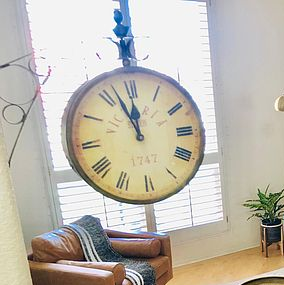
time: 11:56
